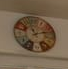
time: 11:12
